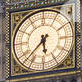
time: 5:37
